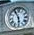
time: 5:55
